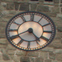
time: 4:40
